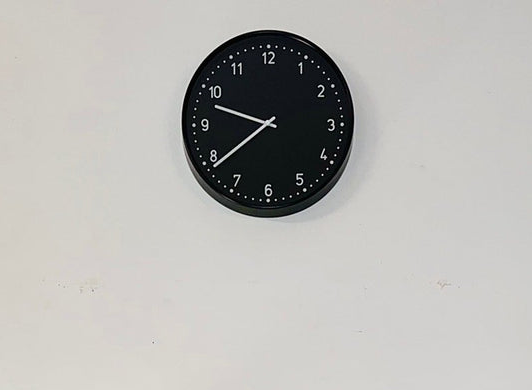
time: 9:38
